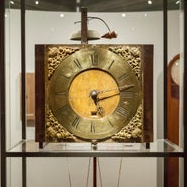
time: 5:12
